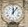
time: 12:06
